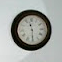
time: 11:30
